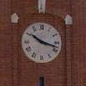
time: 10:17
